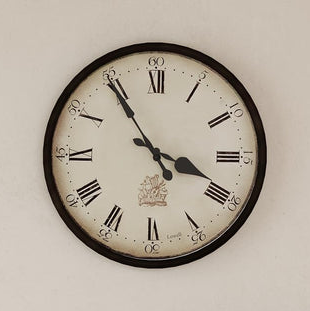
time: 3:54
